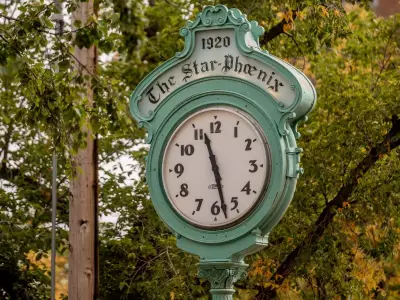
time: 11:27
